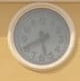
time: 5:40
